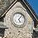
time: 5:06
